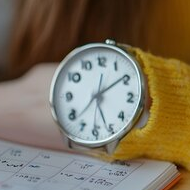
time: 5:09
